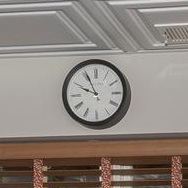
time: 9:55
